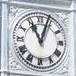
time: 11:03
